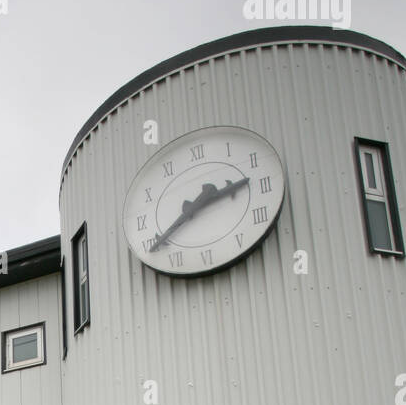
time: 2:39
